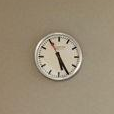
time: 5:24
